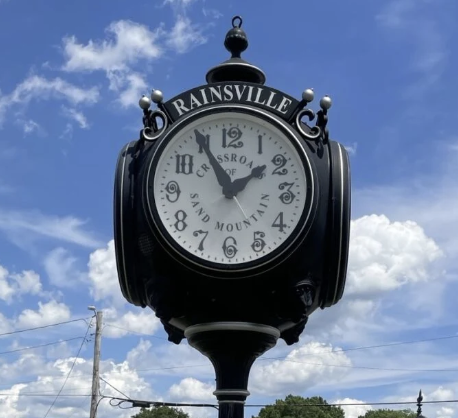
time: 1:54
